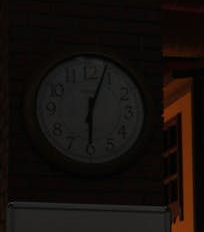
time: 6:03
